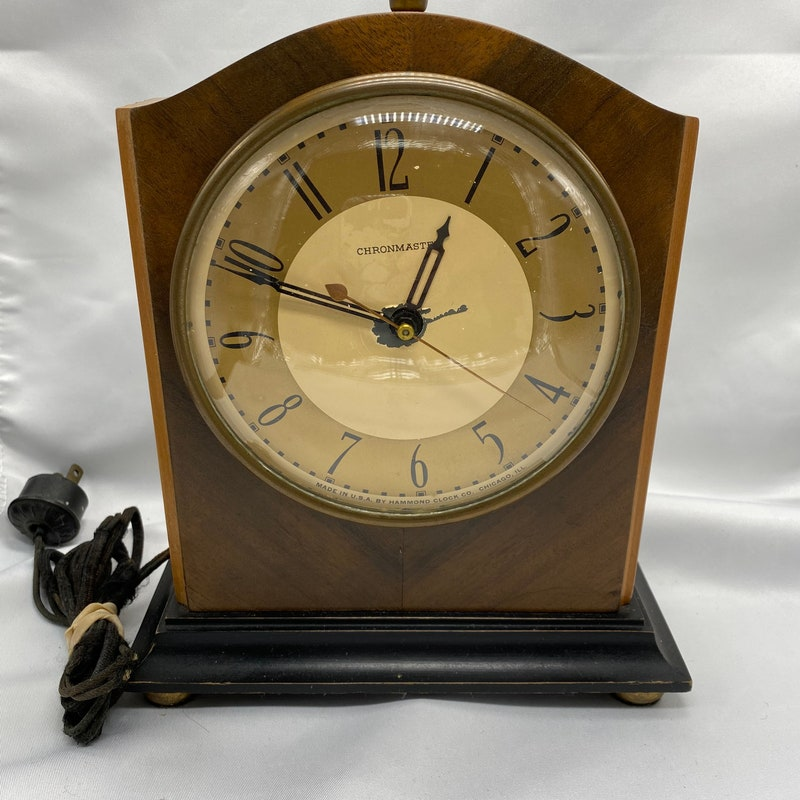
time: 12:49
